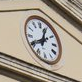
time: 12:40
